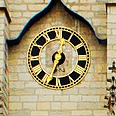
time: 12:33
